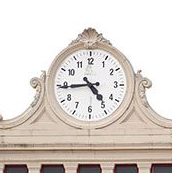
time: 4:44
